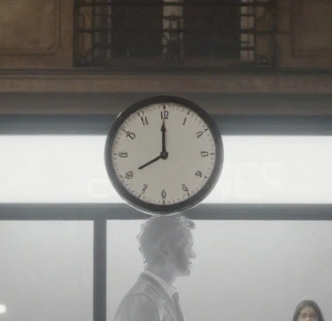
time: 7:59
